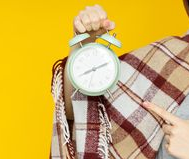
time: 8:11
